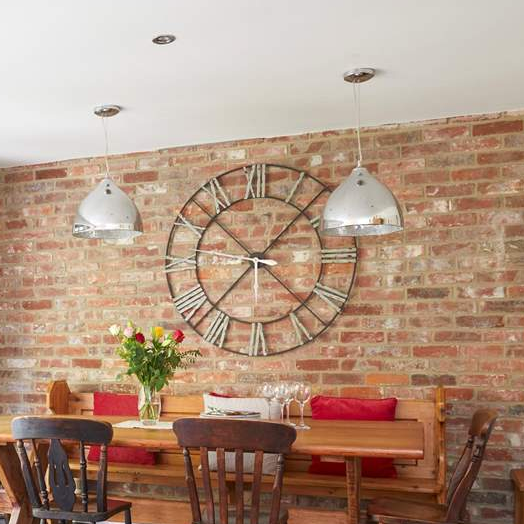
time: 1:37
